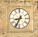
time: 8:34
